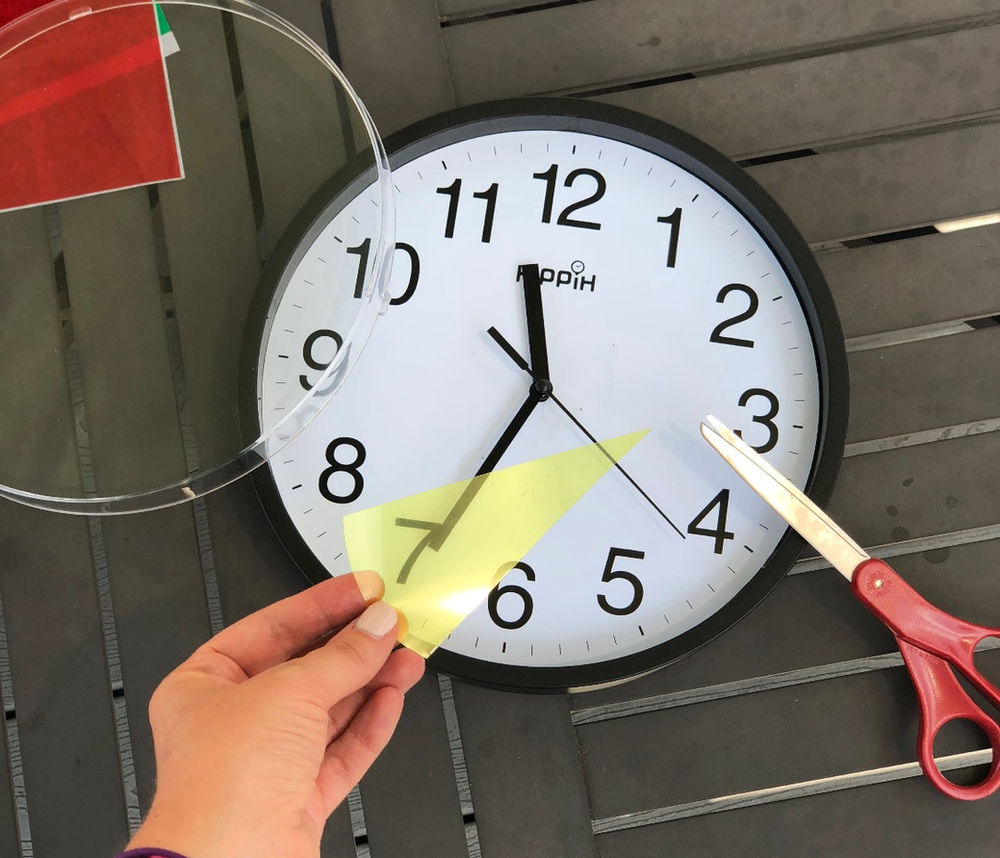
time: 11:34
